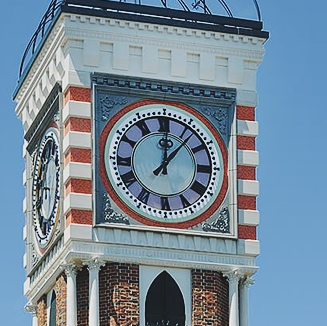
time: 12:06
